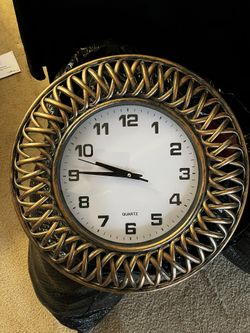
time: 9:45
